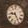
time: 9:25
